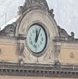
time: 12:04
